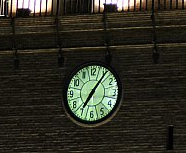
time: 7:06
